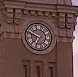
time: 6:47
